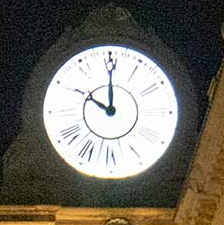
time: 10:00
